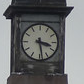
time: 3:28
